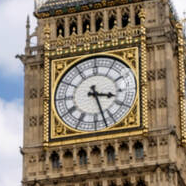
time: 3:27
